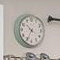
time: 10:34
